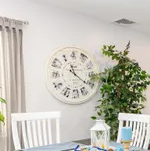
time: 11:21
